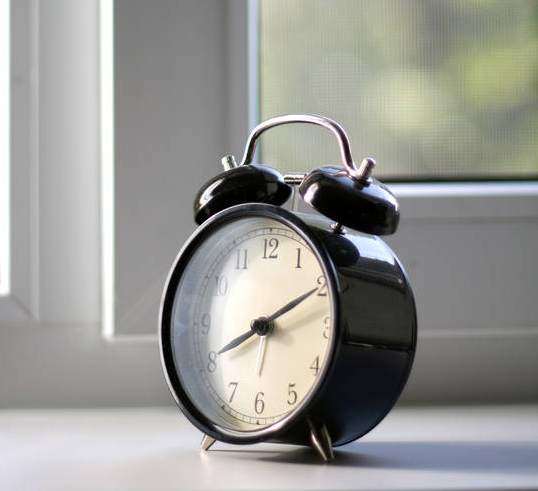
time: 8:10
